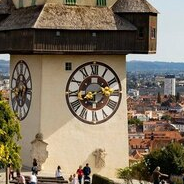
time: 8:11
